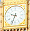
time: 9:33
